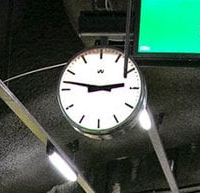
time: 2:46
